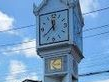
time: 11:38
